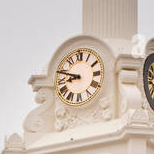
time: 8:48
